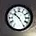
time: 10:24
